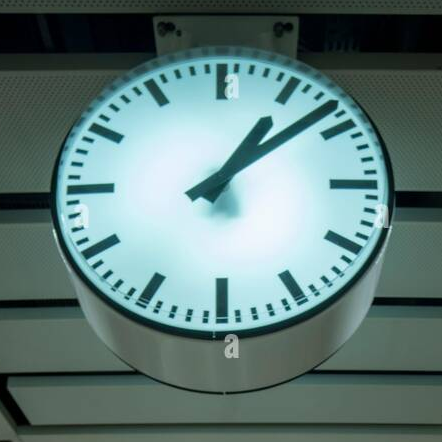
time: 1:08
